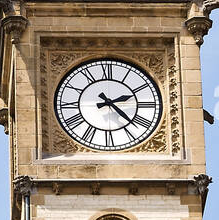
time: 2:22
